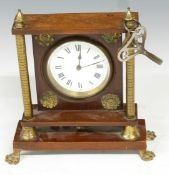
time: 12:12
